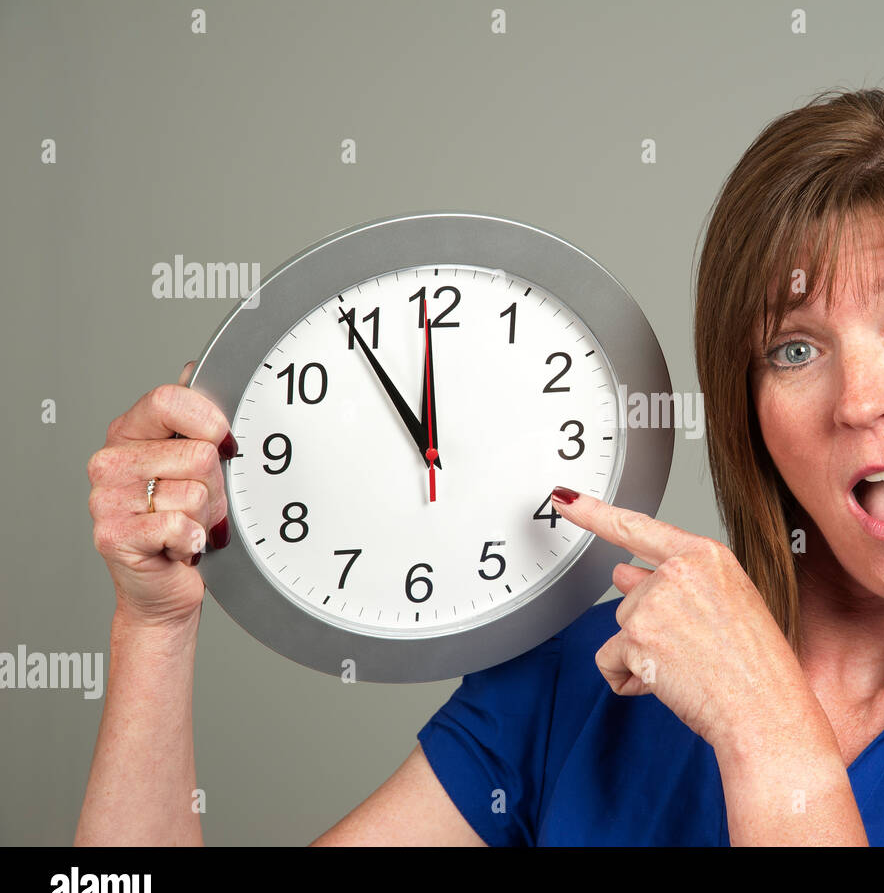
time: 11:54
